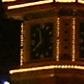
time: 11:39
